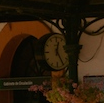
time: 12:24
